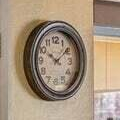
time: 10:08
